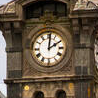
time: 2:01
